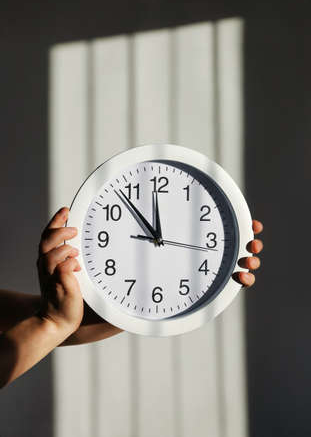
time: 11:53
